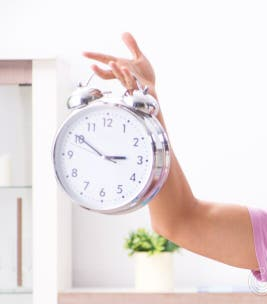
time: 2:50
